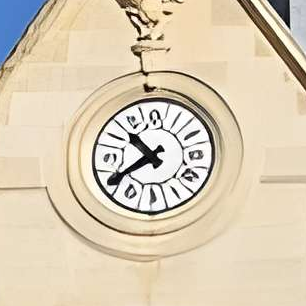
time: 10:39
